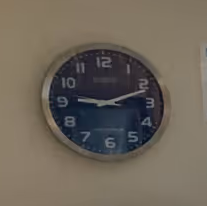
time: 9:11
